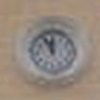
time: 11:55
